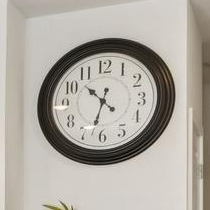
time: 10:32
